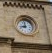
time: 8:58
